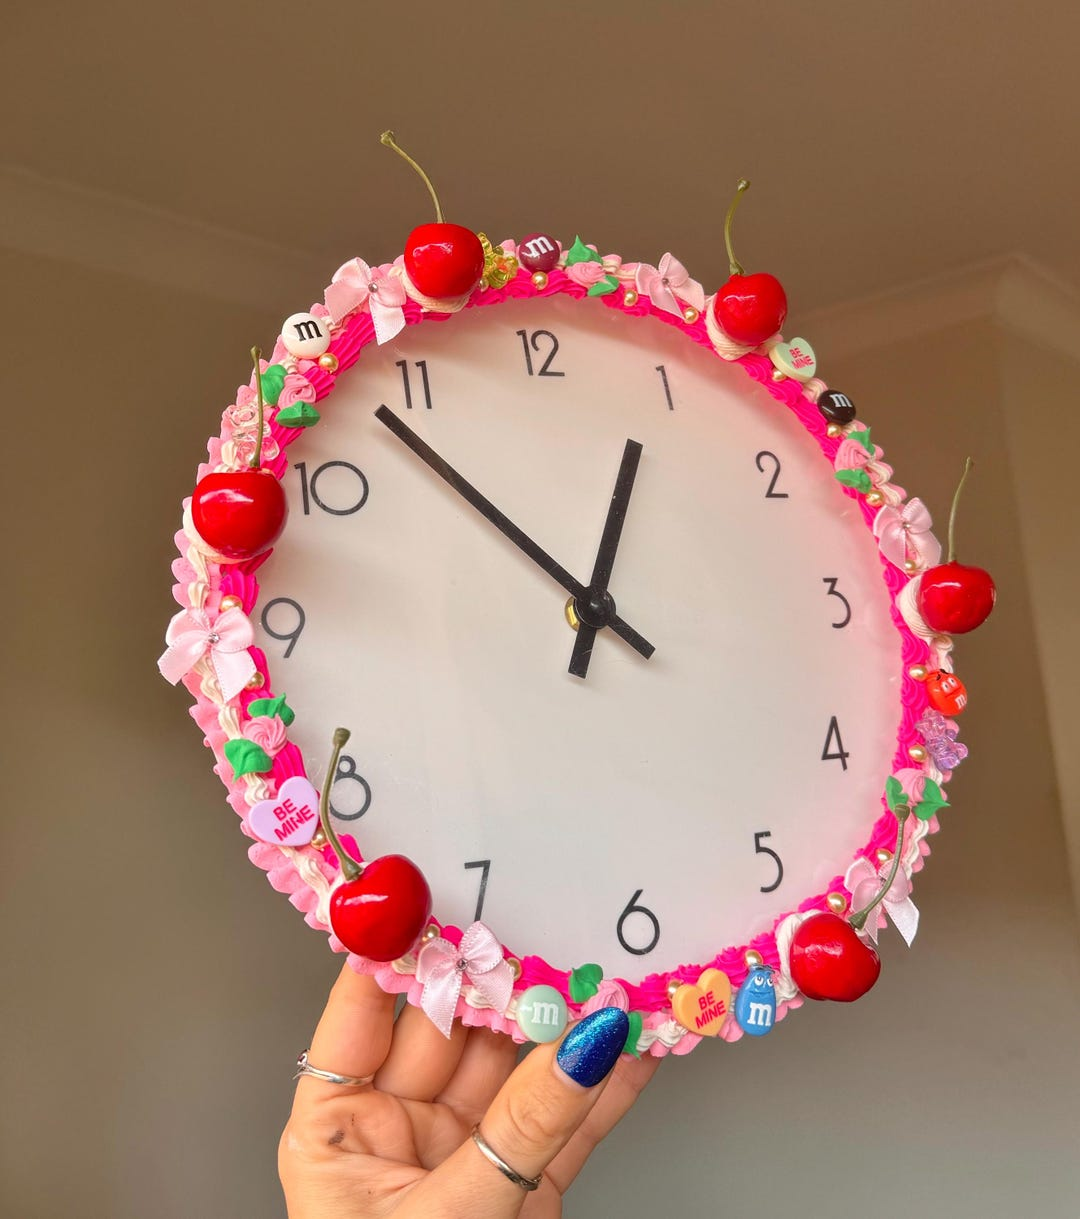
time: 12:52
